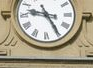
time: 9:24
